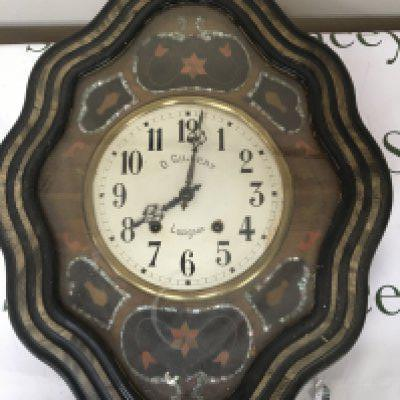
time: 8:01
